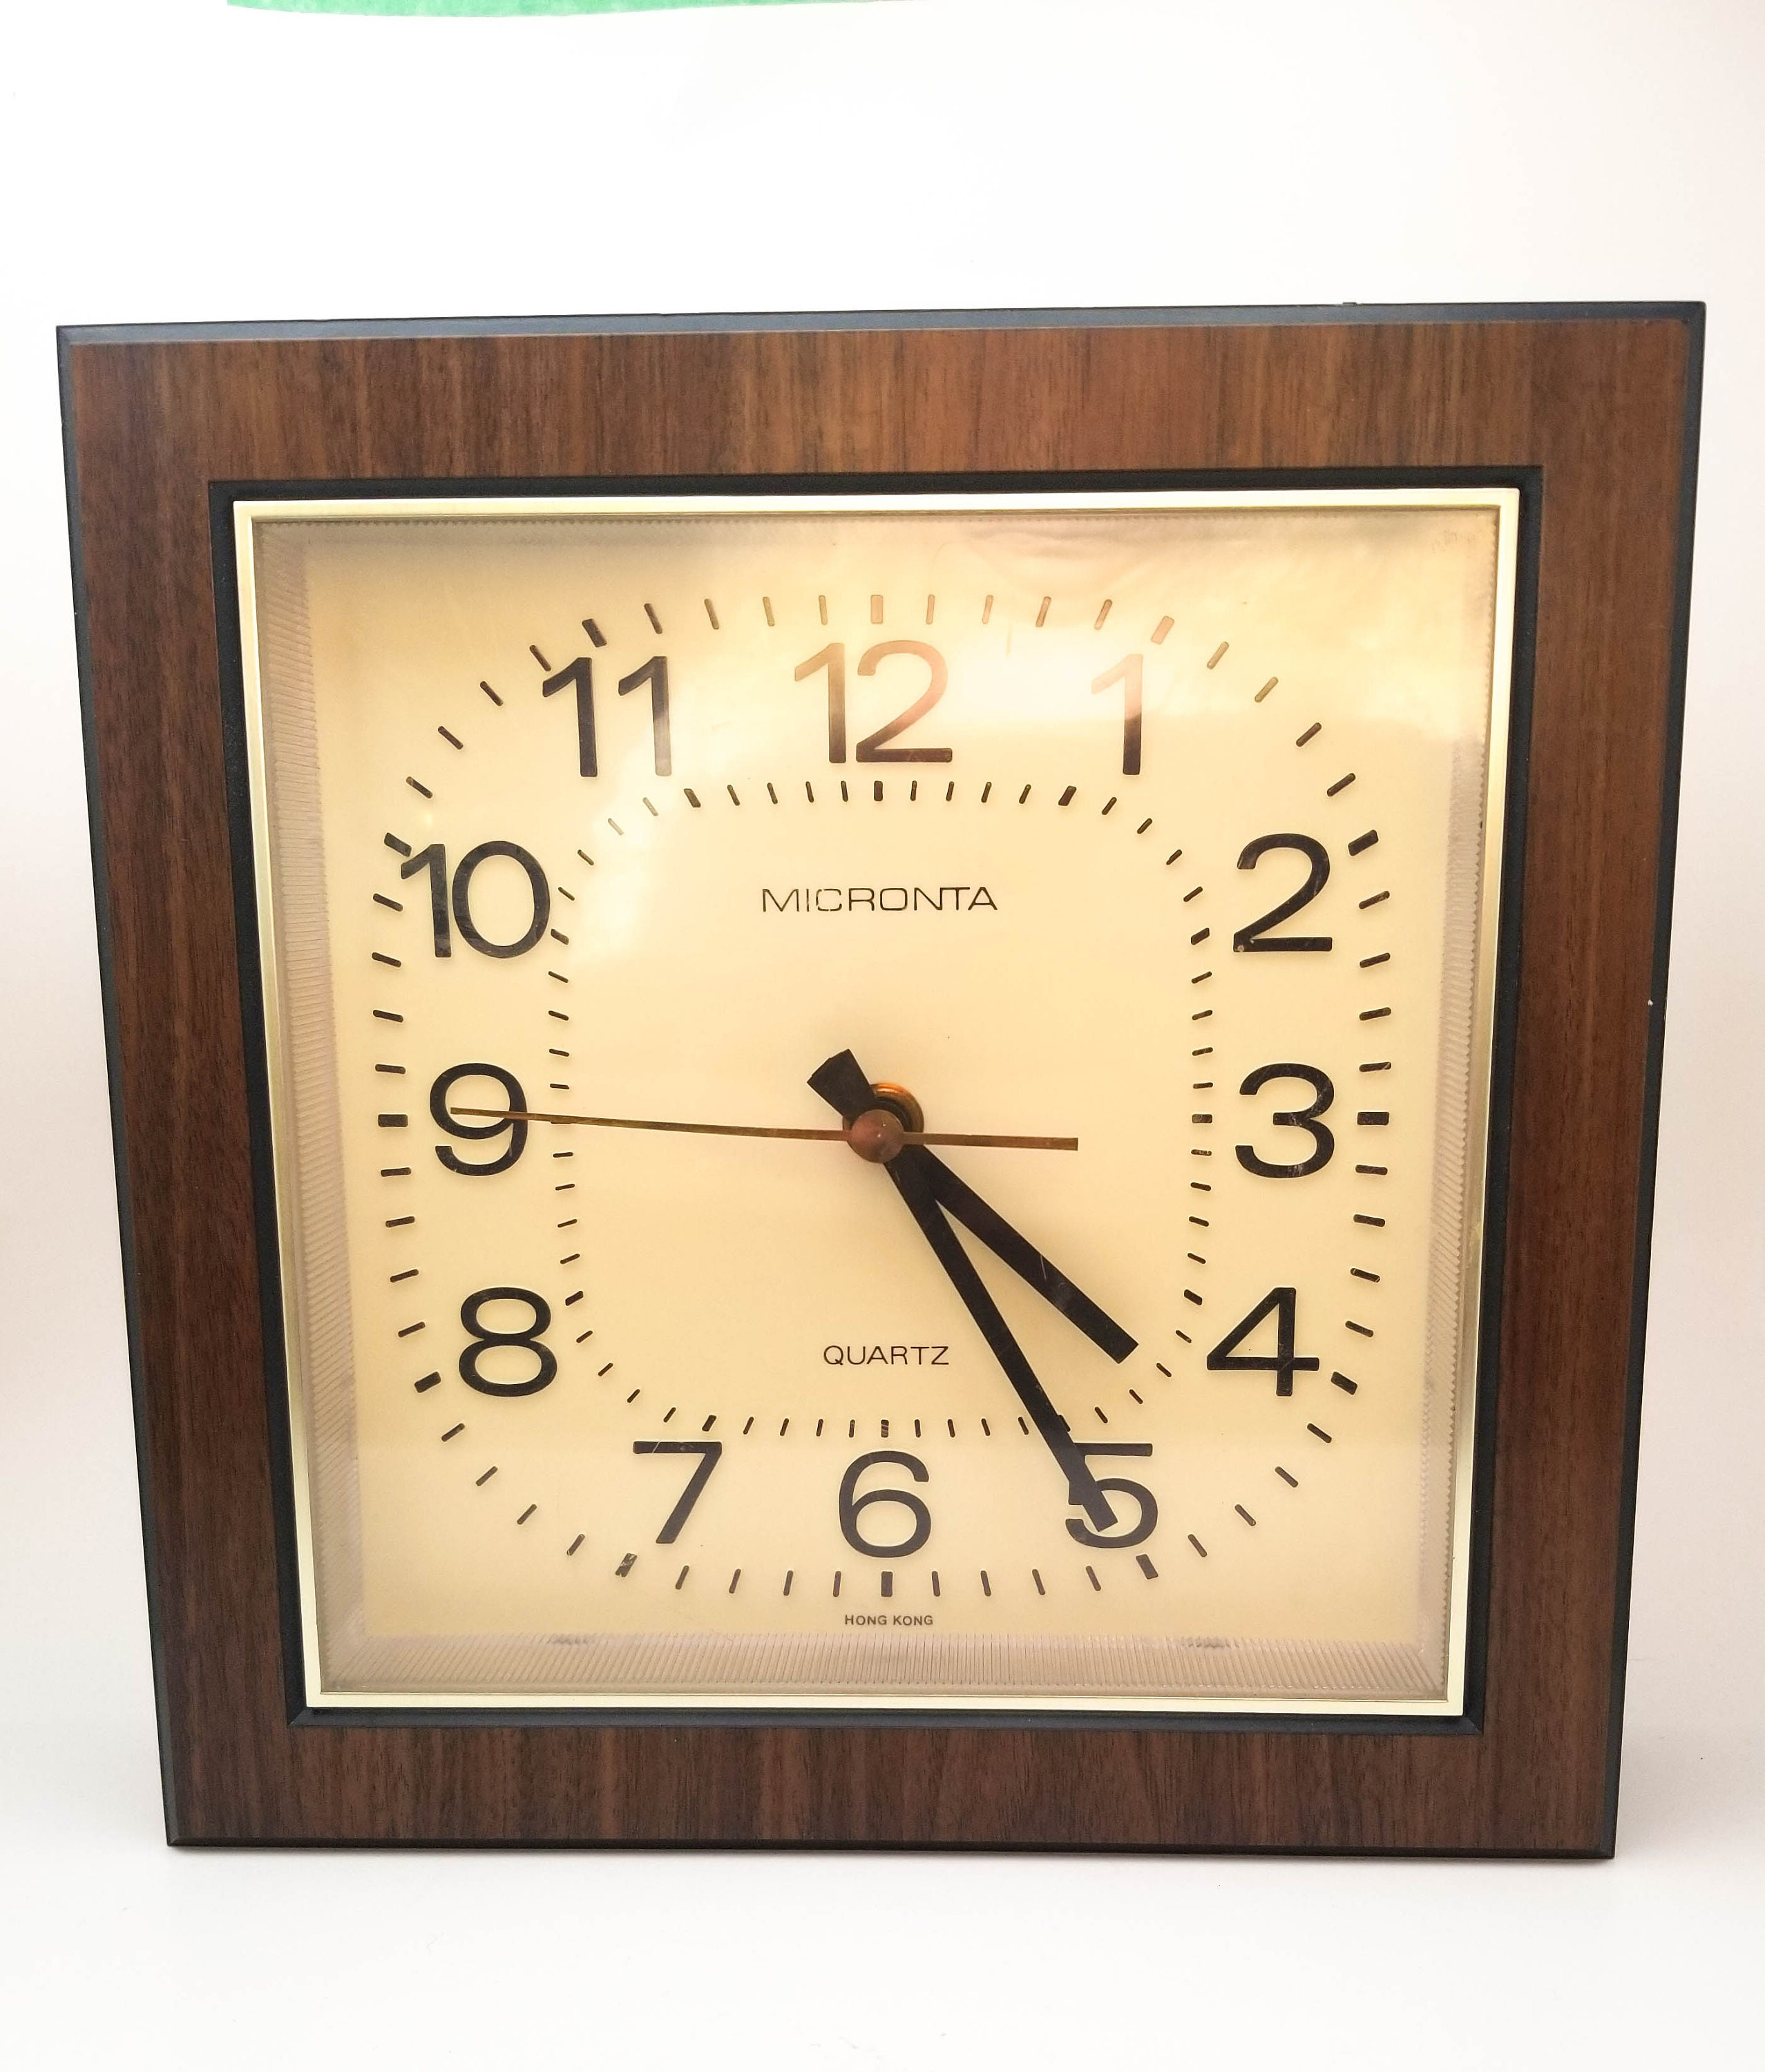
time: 4:25
